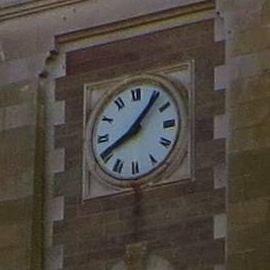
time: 8:06
